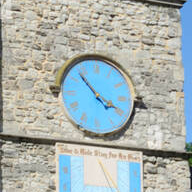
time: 3:52
